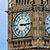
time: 3:14
